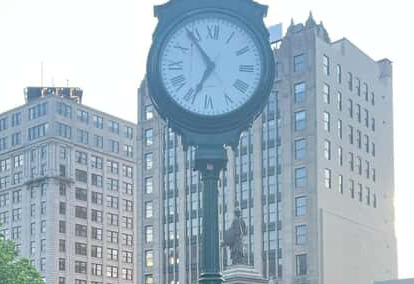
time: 6:53
